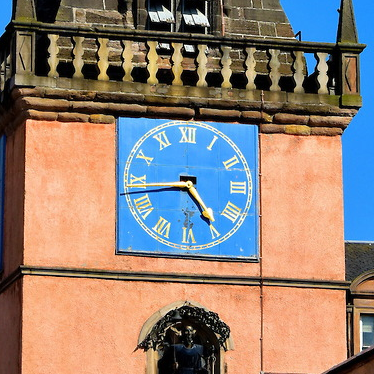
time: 4:43
